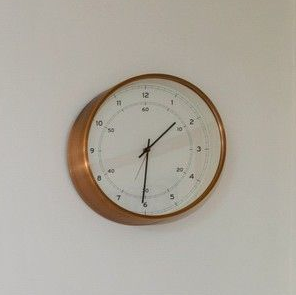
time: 1:30
